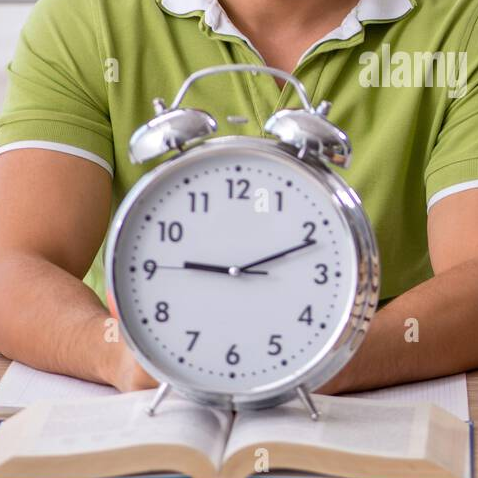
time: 9:11
